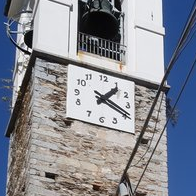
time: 1:19
